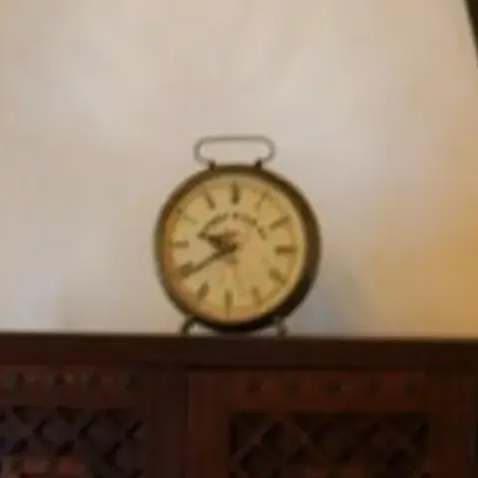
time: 9:39
